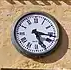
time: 5:16
